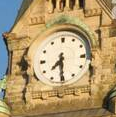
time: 7:30
